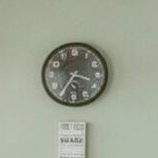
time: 3:35
